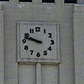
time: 9:47
